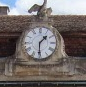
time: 1:30
